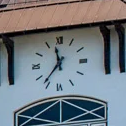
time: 11:36
